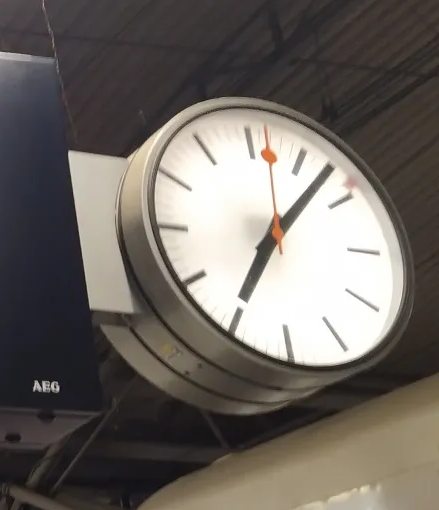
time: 7:07
